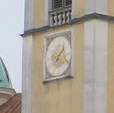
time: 1:18
